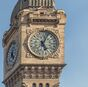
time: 5:03
